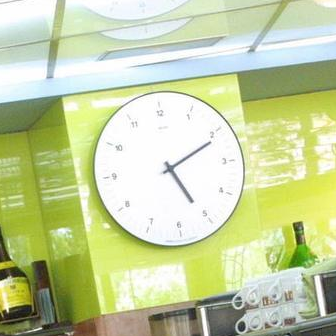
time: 5:11
